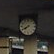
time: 7:40
